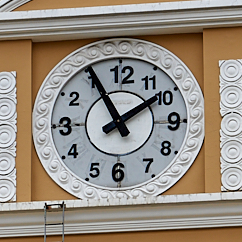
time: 1:55
